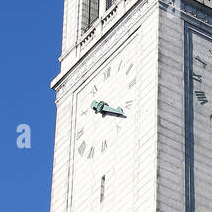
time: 4:21
